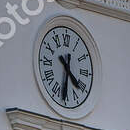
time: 4:31
